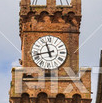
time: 11:42
